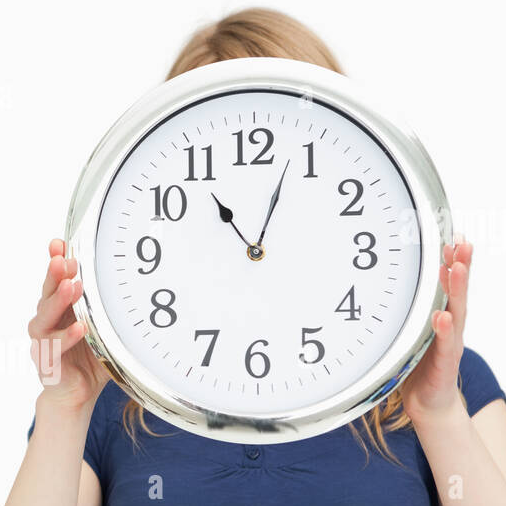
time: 11:03
